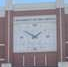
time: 1:50
